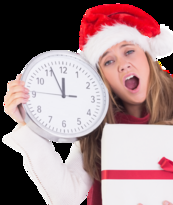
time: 11:55
